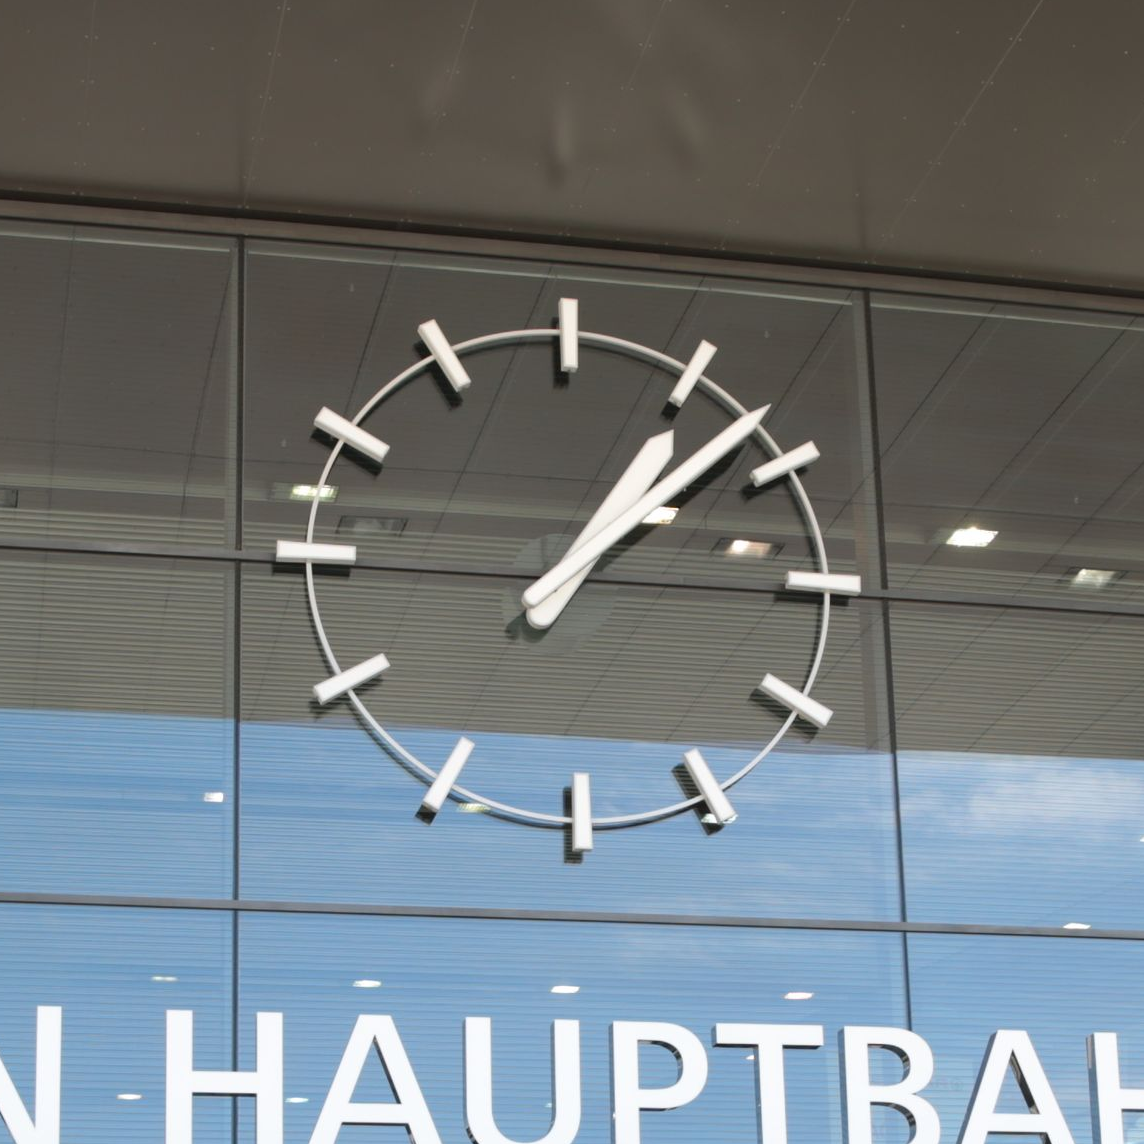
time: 1:08
